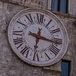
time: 6:16
